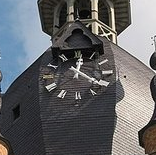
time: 12:21
